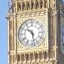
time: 10:28
